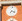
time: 7:17
